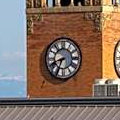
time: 8:34
